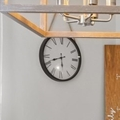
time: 5:41
